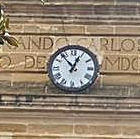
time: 12:53
